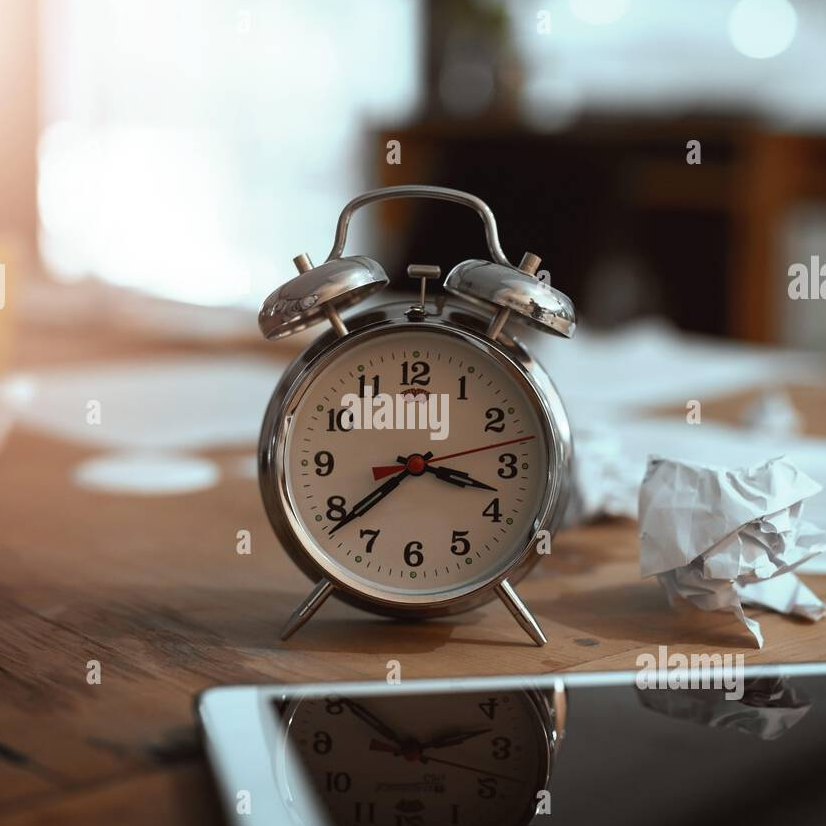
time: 3:38
